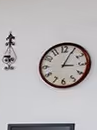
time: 3:04
